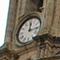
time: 12:14
